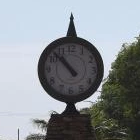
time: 10:52
